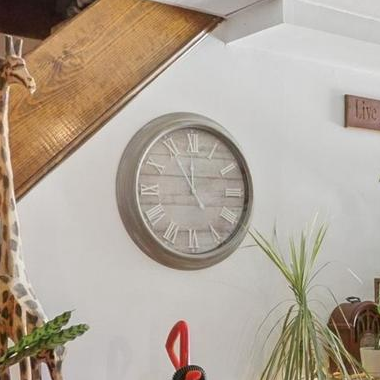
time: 11:55
